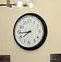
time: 7:44
